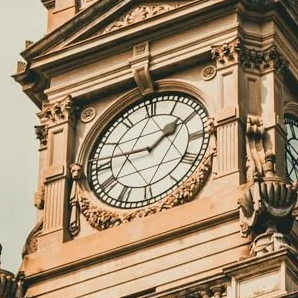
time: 1:46
